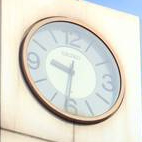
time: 9:31
